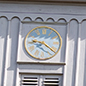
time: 9:21
